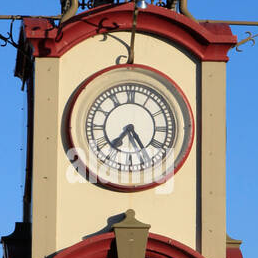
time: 7:23
